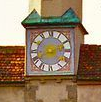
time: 8:12
